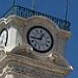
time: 12:44
